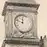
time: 11:48
